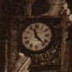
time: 11:22
